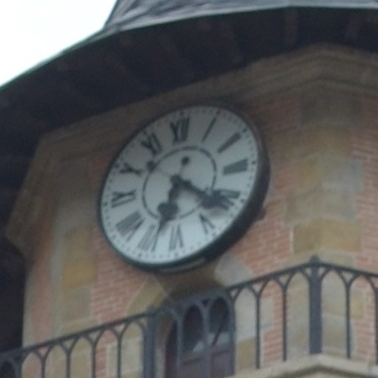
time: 6:21
